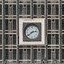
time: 2:39
